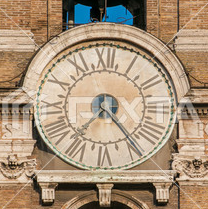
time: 7:24
